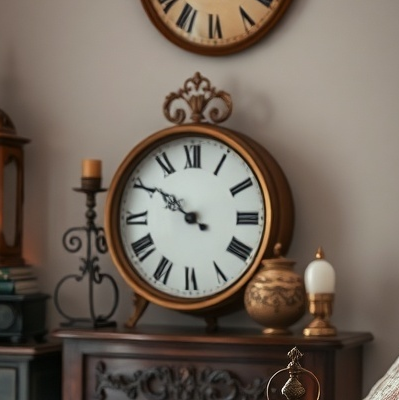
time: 9:50
